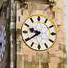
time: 9:39
